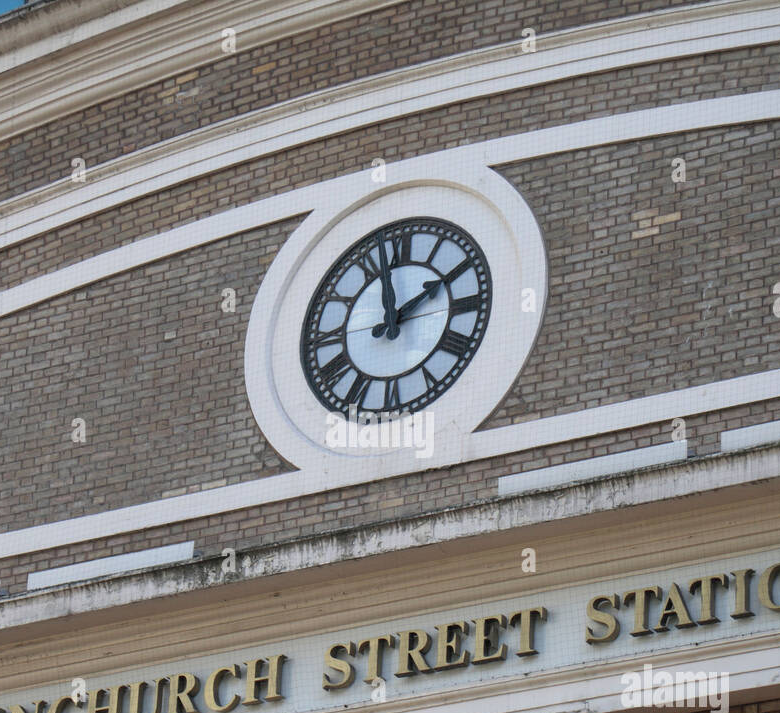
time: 1:57
